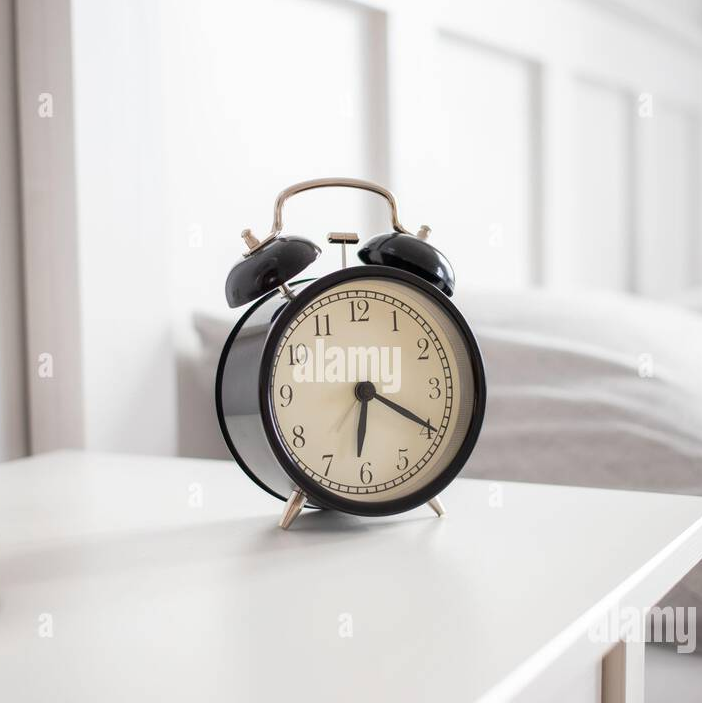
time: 6:19
